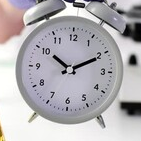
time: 10:10
